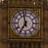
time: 6:58
